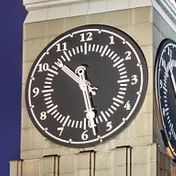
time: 10:28
